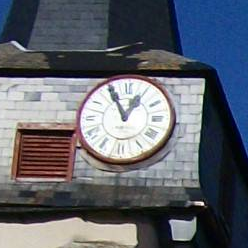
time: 12:55
